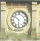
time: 5:51
